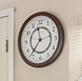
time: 11:36
